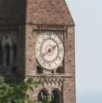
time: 1:39
